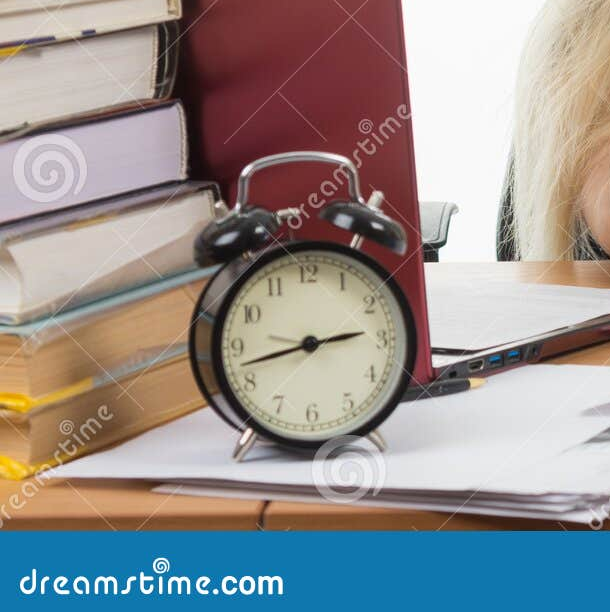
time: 2:42
